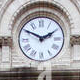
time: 1:50
